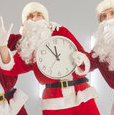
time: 11:54
